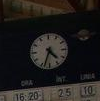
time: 4:33
